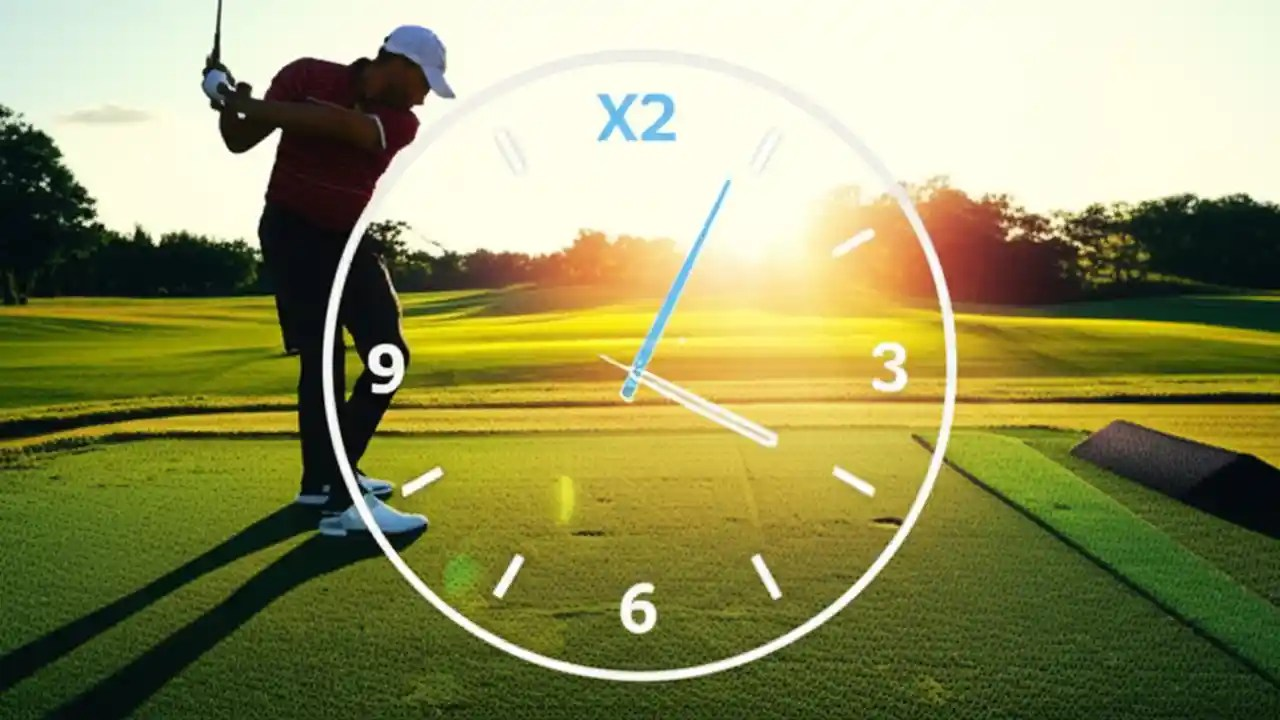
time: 4:04
